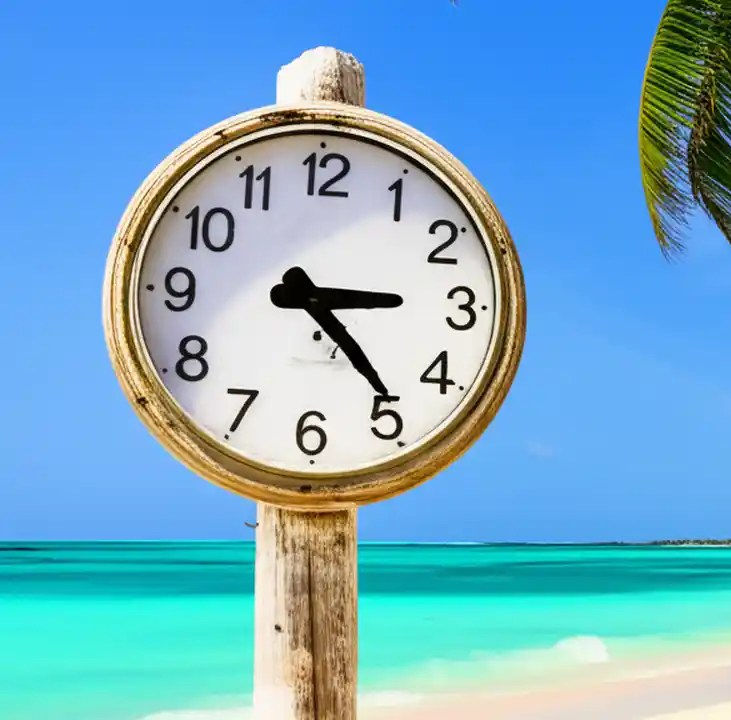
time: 3:23
